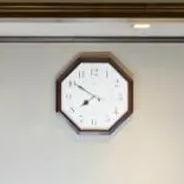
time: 7:50
